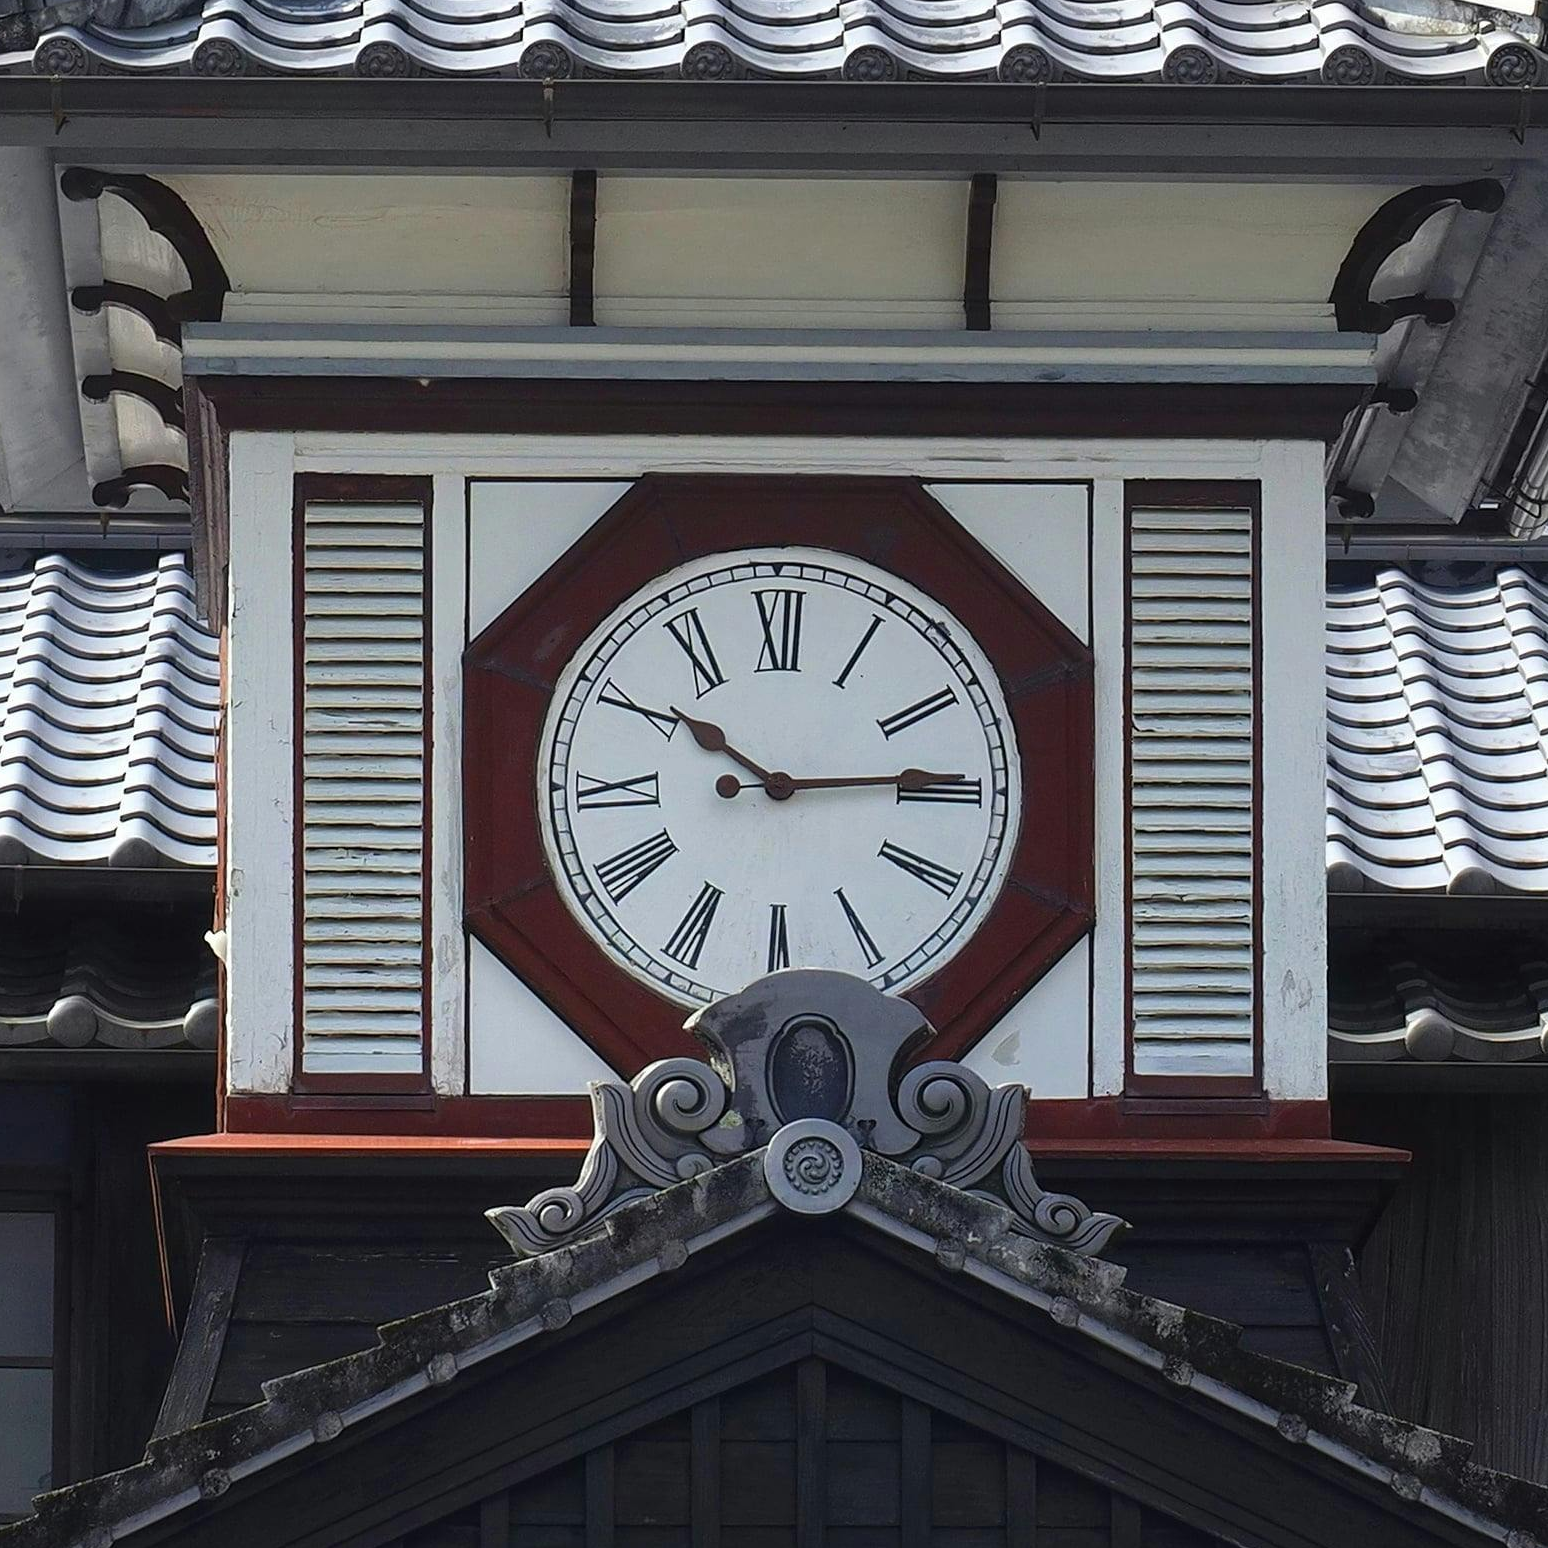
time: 10:14
